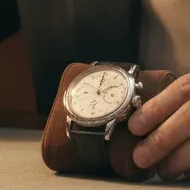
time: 2:00
